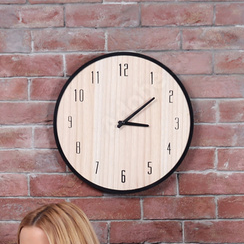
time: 3:08
